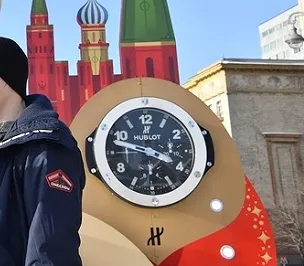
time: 3:47
